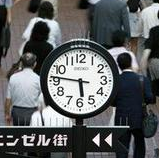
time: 5:46
